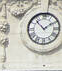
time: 1:52
